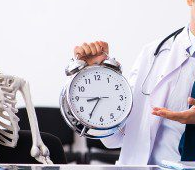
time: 8:35
